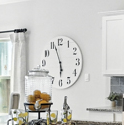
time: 5:56
